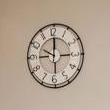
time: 10:00
